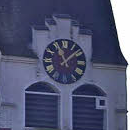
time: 11:08
